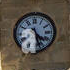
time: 4:27
